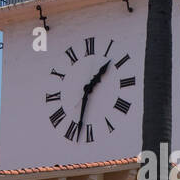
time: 1:32
